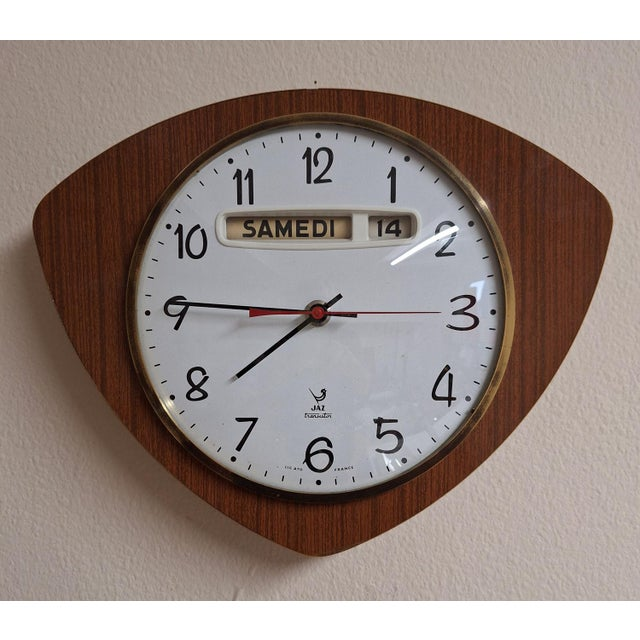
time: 7:45
